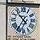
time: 10:35
